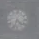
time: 4:33
